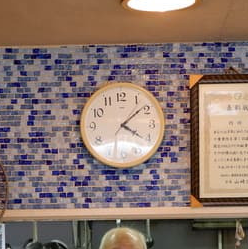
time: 4:08
